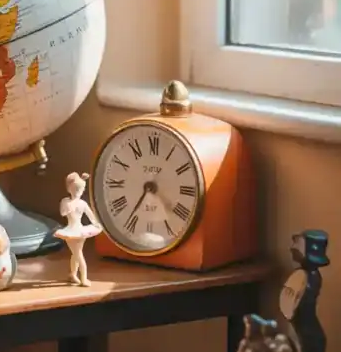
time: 4:35
